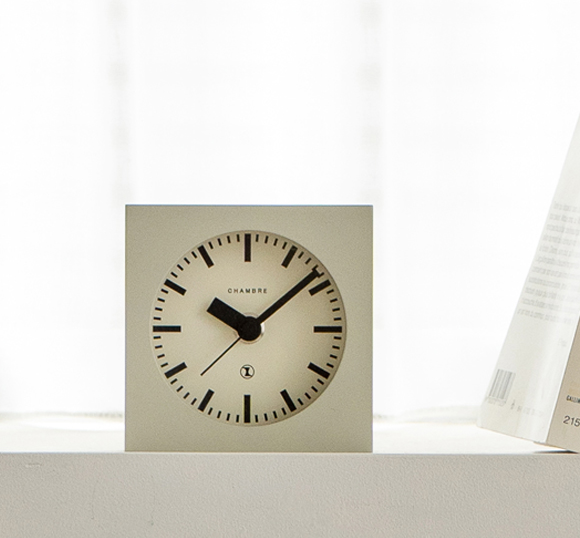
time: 10:08
